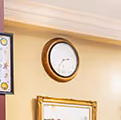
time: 2:36
